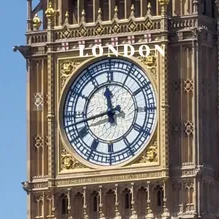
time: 11:42
